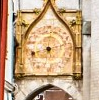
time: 8:12
